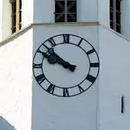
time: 9:51
